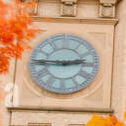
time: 2:45
